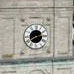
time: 2:40
